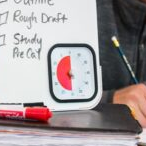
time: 5:59
